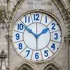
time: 1:51
